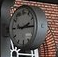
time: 2:14
